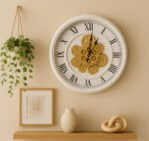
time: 1:01
